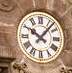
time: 10:07
